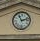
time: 11:12
